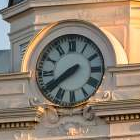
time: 7:39
